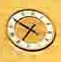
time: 6:49
